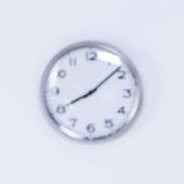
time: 8:07
